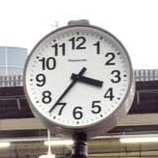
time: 3:36
